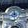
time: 7:59
